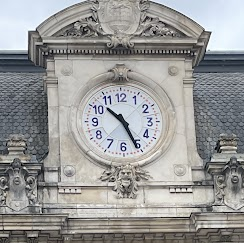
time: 10:25
